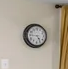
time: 4:45
